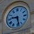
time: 9:28
